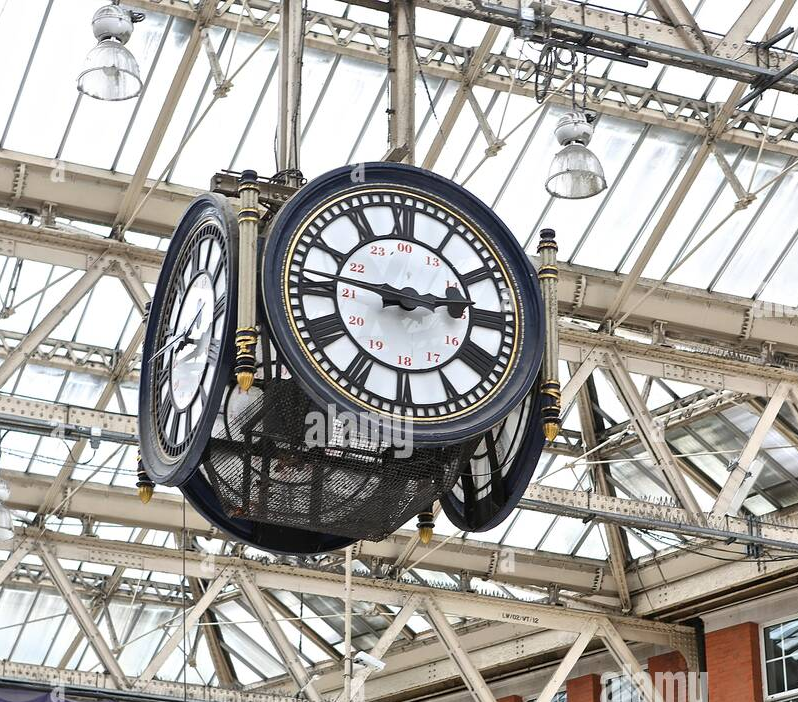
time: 2:45
